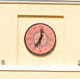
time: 7:01
